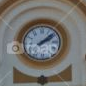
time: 2:08
